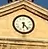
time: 6:23
